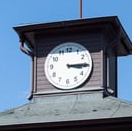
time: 3:14
